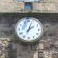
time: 2:03
